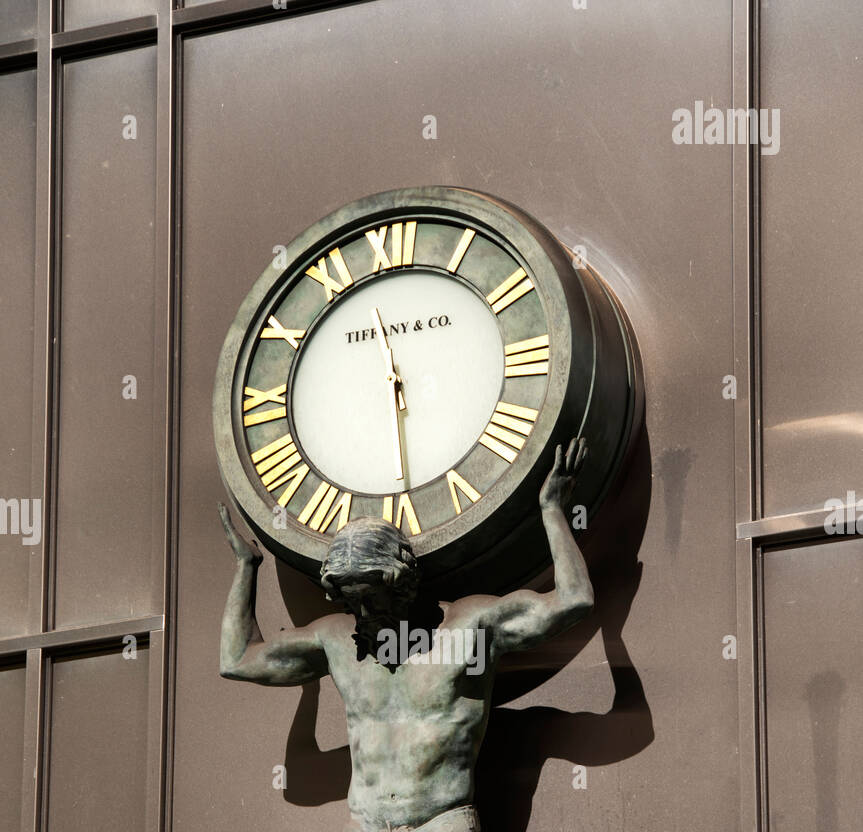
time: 11:29
